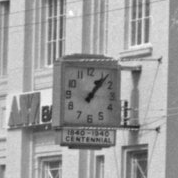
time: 1:06
